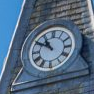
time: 10:50
